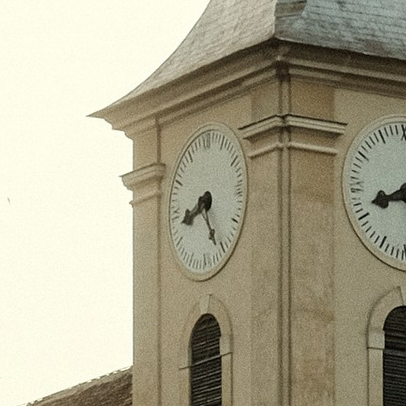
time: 8:26
